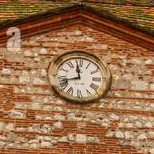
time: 11:42
